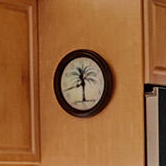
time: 11:29
